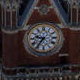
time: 9:36
